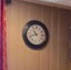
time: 10:41
